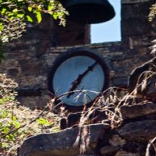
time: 7:07
